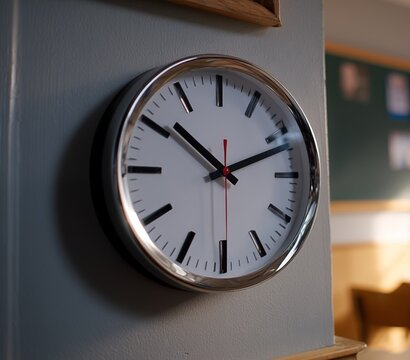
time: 10:11
